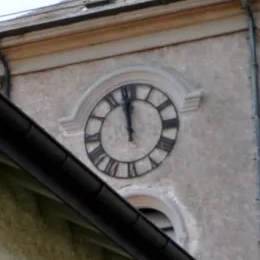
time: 11:58
